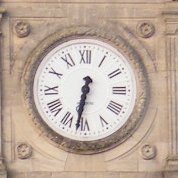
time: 6:32
